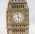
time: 3:58
